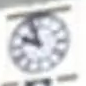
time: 9:57
